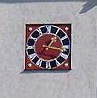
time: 1:16
